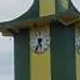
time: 5:35
